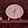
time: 12:31
